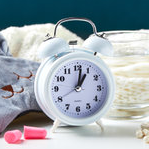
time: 1:01
